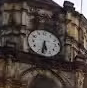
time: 5:31
